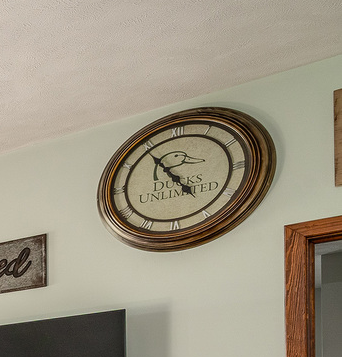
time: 4:54
